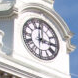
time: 2:59
